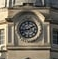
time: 1:42
